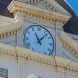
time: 11:06
